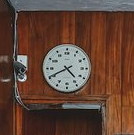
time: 4:40
